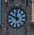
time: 11:49
